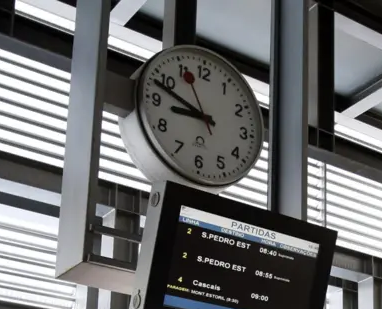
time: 8:48
